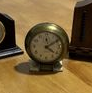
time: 4:09
